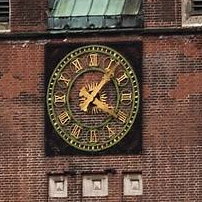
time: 4:06
